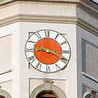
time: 9:18
